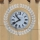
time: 10:39
